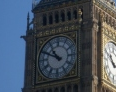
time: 10:49
